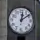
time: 12:09
